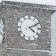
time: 4:10
